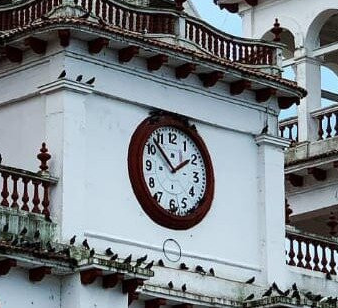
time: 1:52
